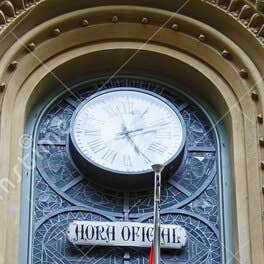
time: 2:25
